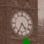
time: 4:34
